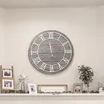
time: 11:44
